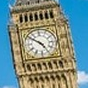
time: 4:50
